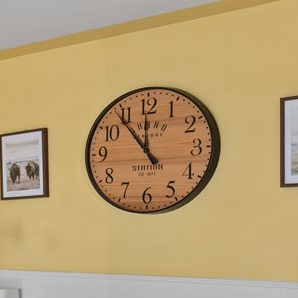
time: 11:53
